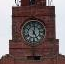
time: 5:01
